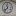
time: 11:37
